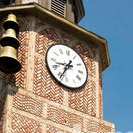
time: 8:34
